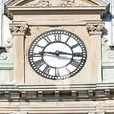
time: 9:16
